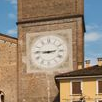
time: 2:46
